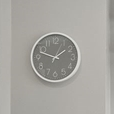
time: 1:47
